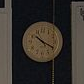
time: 10:19
